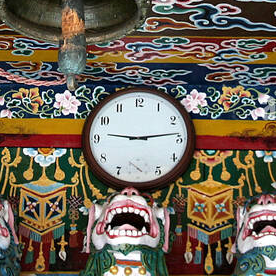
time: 9:13
